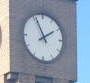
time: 1:56
